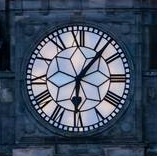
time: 6:06
